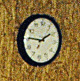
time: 1:45
